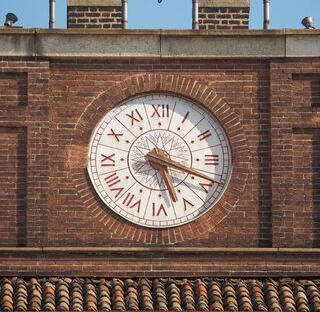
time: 5:18
